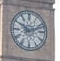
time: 10:11
